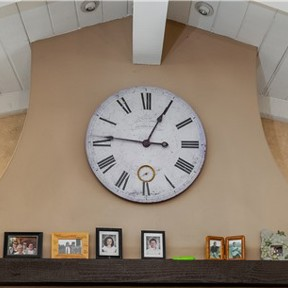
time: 12:46
